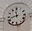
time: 11:42
